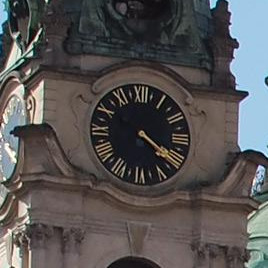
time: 4:20
